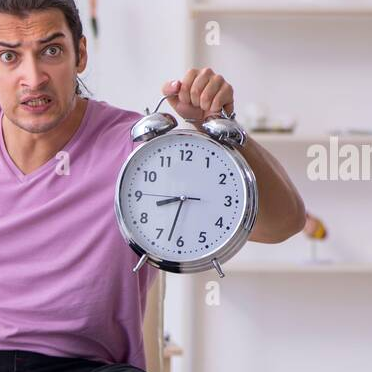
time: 8:32
